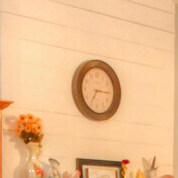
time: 7:15
